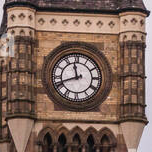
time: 11:41
